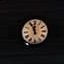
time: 11:56
